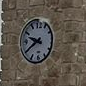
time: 9:40
